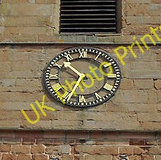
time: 10:34
